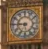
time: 8:45
